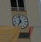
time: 6:58
